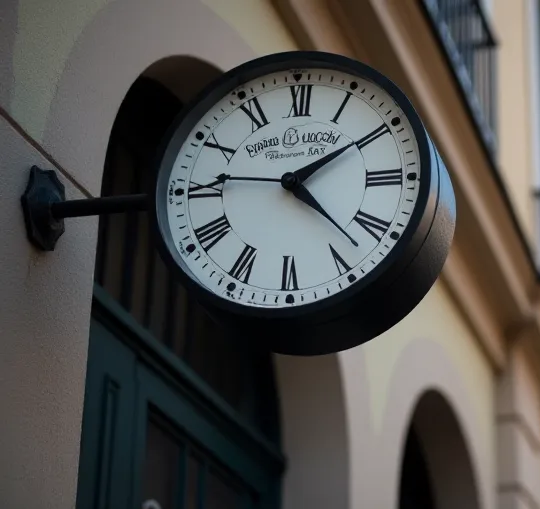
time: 4:09
